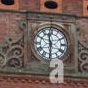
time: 11:30
